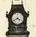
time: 4:40
